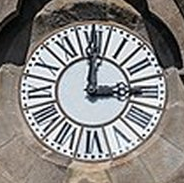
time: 3:00
